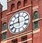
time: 11:44
